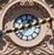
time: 1:12
